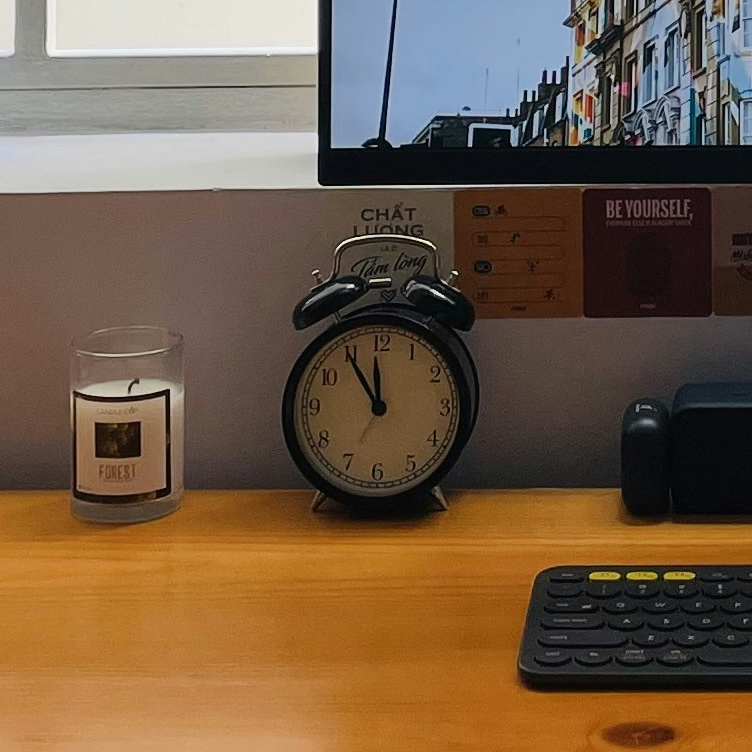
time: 11:54
